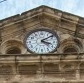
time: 4:09
